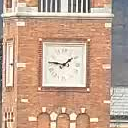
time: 1:46
